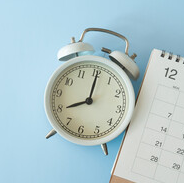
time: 8:00
